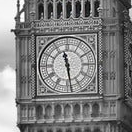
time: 11:28
